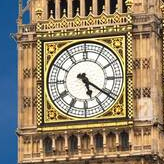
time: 5:20
